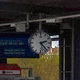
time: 2:23
